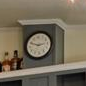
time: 2:48
